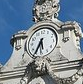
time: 5:34
